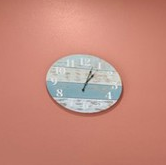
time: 1:03
